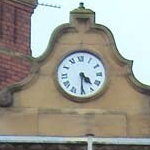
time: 4:30
